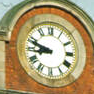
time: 8:48
